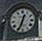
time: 12:34
